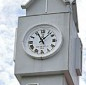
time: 11:07
